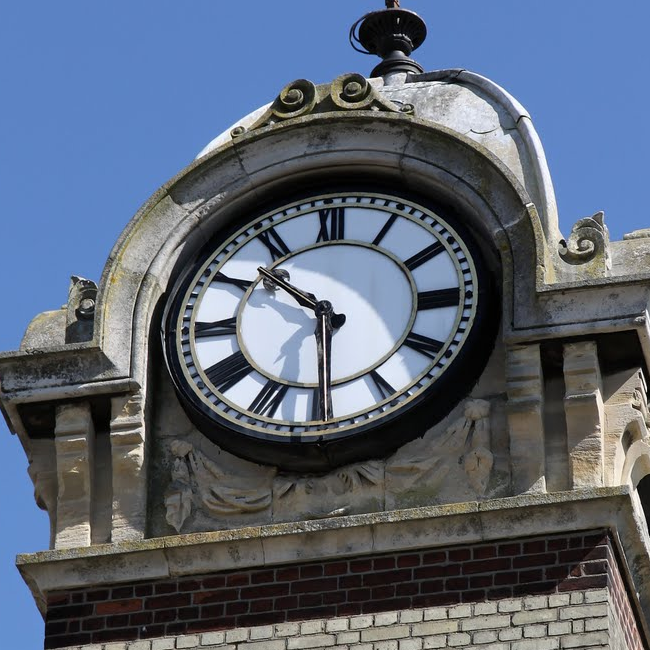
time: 10:30
